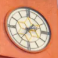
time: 2:35
